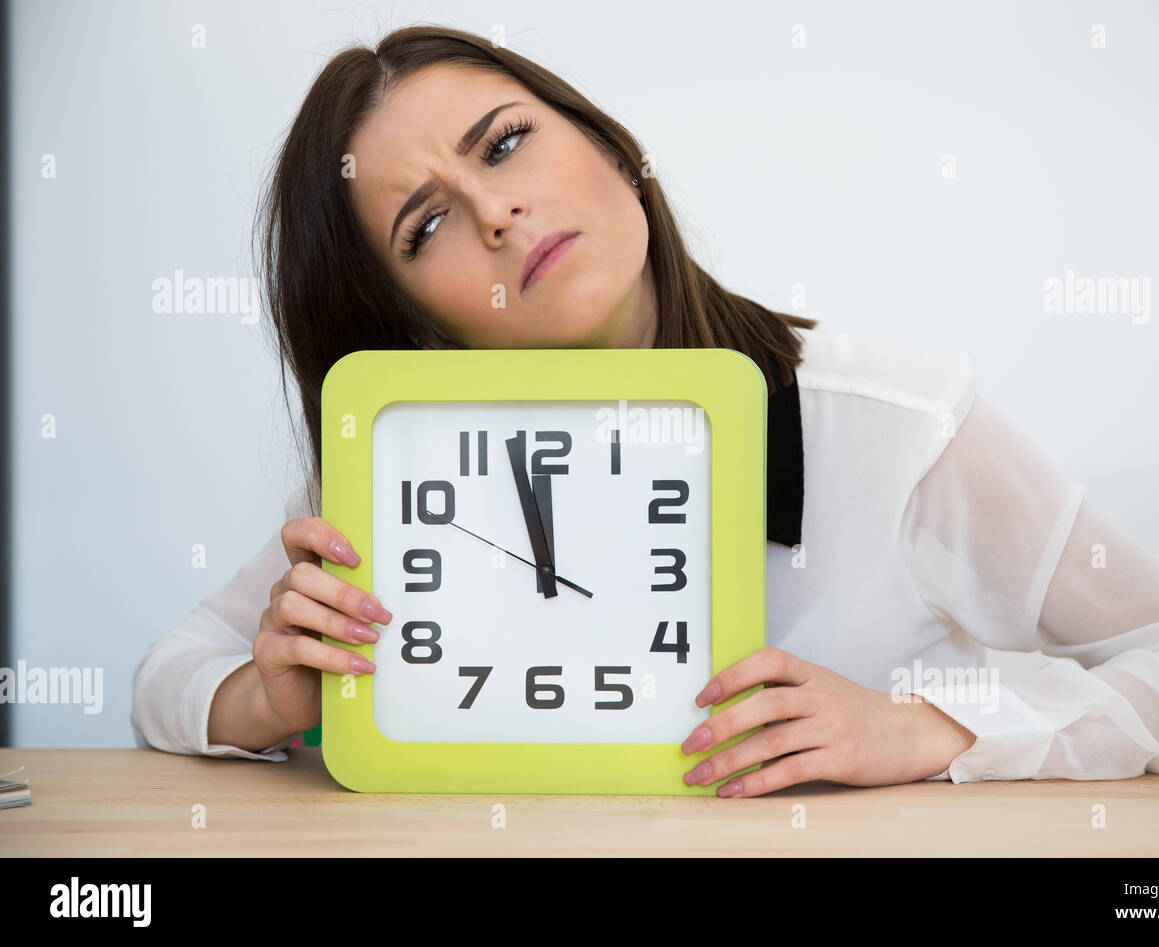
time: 11:57
